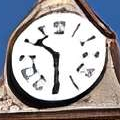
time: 10:29
